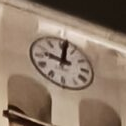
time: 9:01
